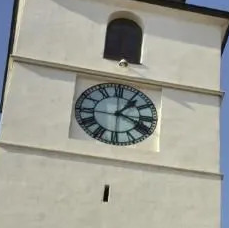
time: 1:18
